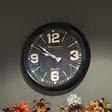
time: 9:51
